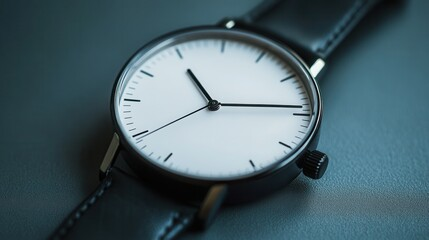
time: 11:14
